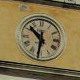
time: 10:31
